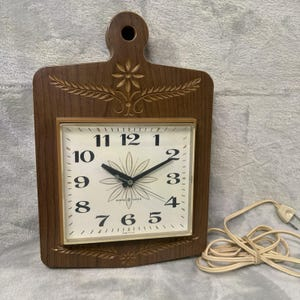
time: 10:10
